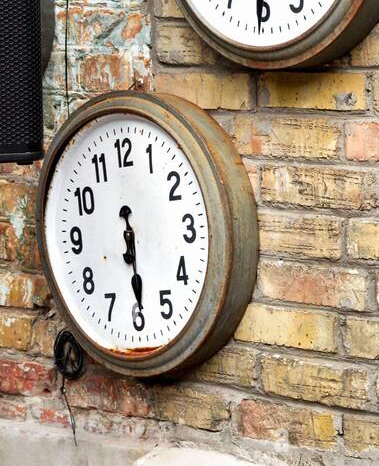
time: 5:29
